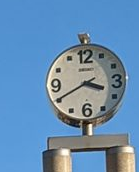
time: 3:40
